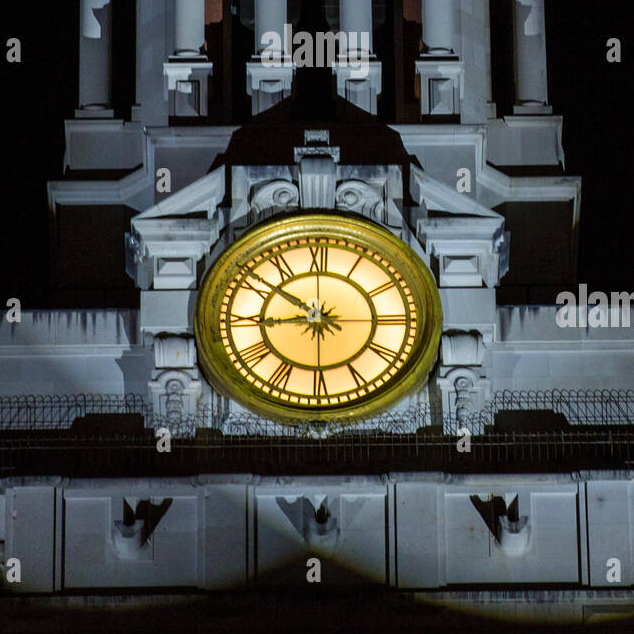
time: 8:51
